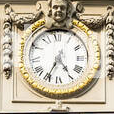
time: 4:35
